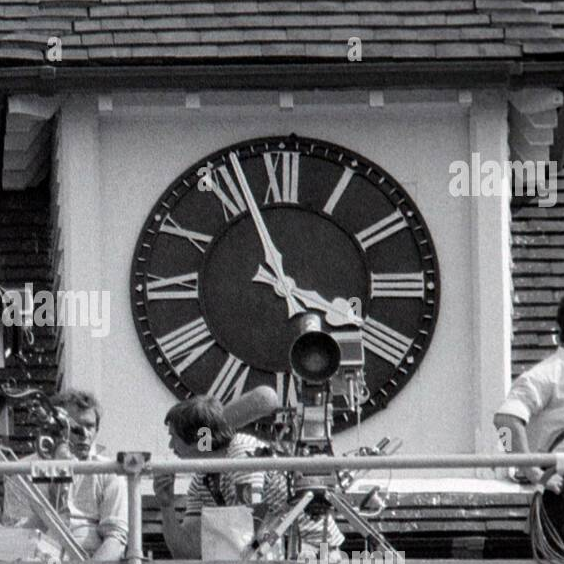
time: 3:56
